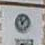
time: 11:07
